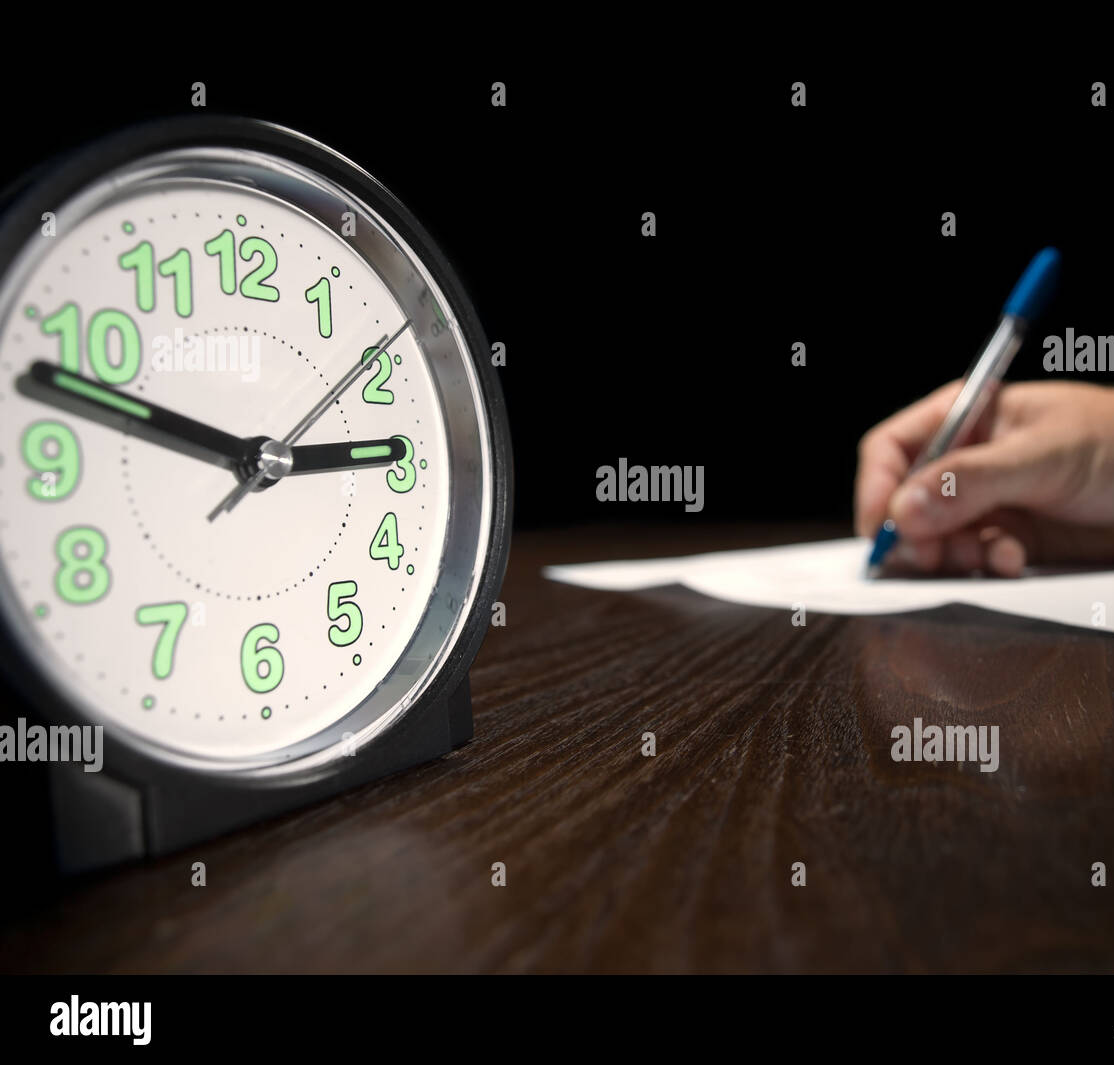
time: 2:48
